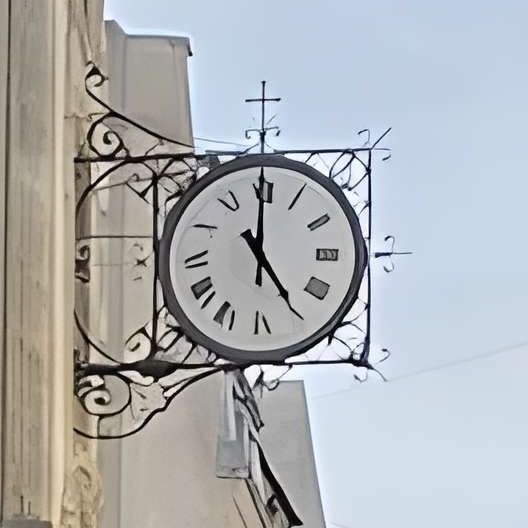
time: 4:59
